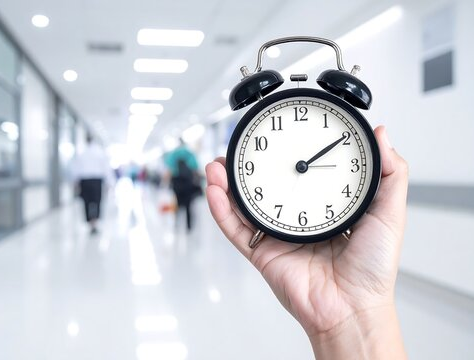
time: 2:09
